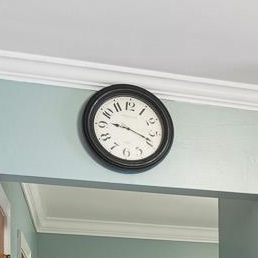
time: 9:18
